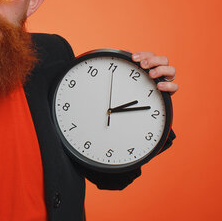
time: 2:13
